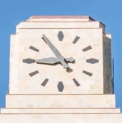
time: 8:54
